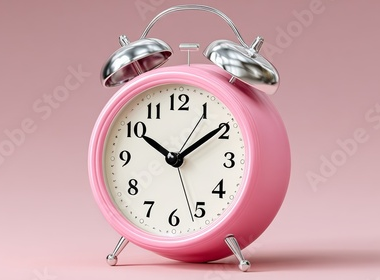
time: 10:09
